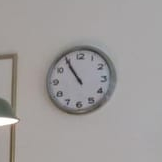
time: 10:54
